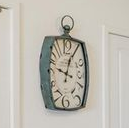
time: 12:47
